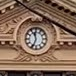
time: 11:33
